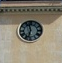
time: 11:32
